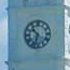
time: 10:33
